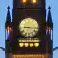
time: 9:15
